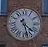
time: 4:27
